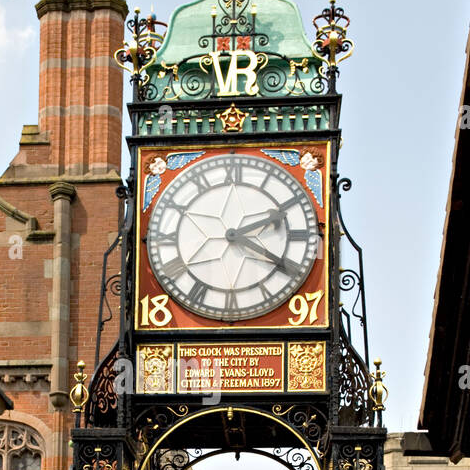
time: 2:19
